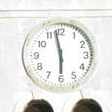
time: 5:57
